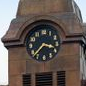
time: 3:37
